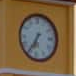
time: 6:35
